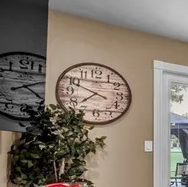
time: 7:48
